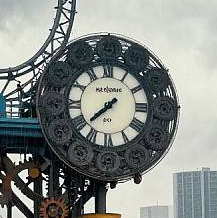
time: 7:37
